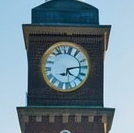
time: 4:13
